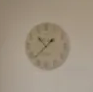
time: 1:37
